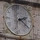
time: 2:21
